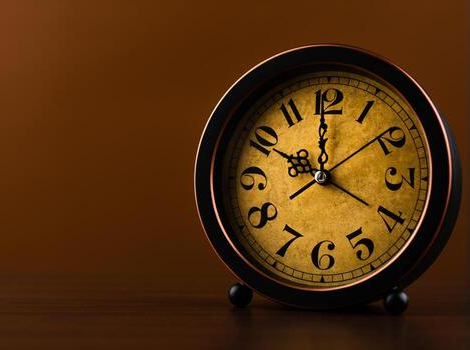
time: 9:59
